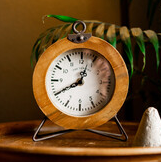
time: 12:40
